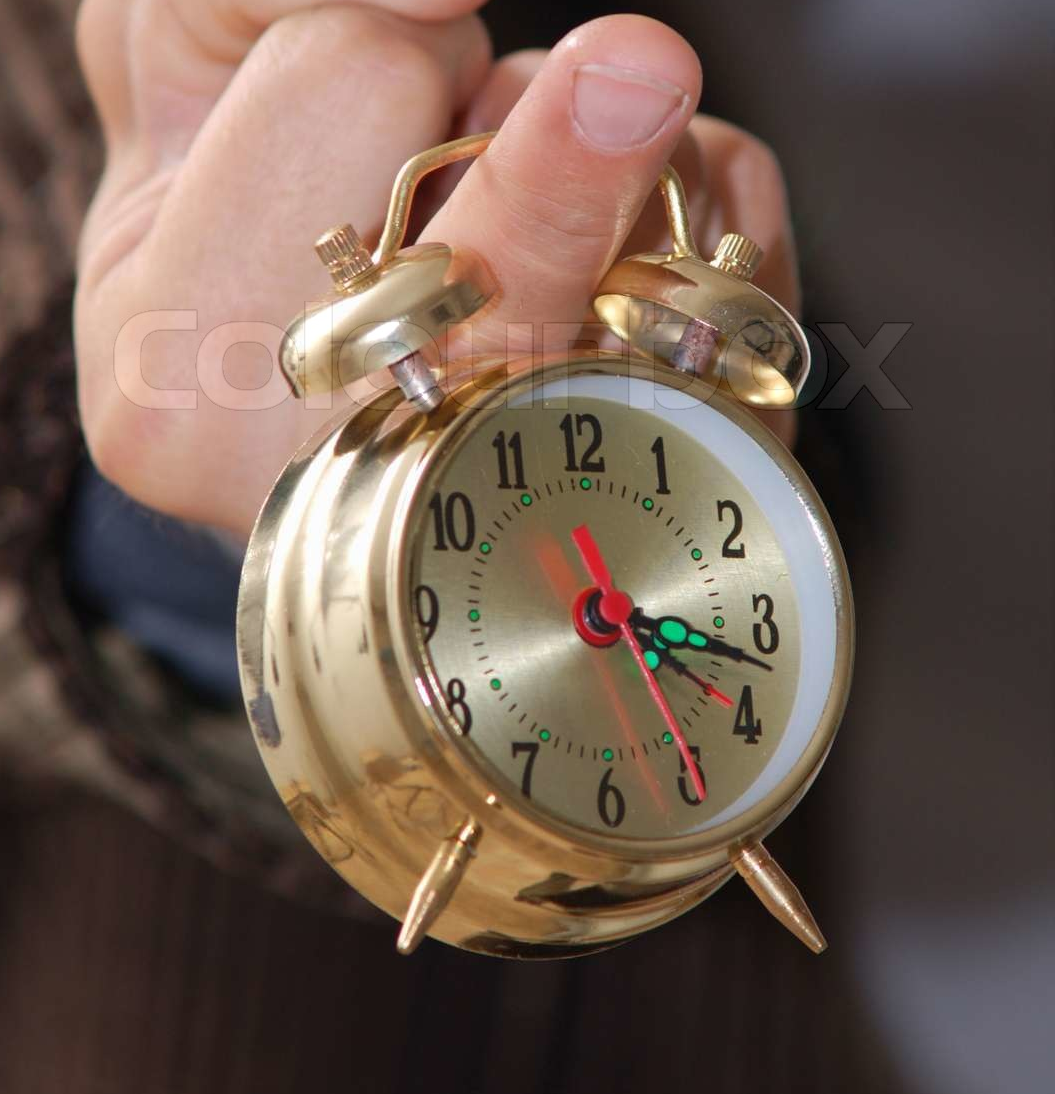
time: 3:17
